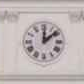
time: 12:08
